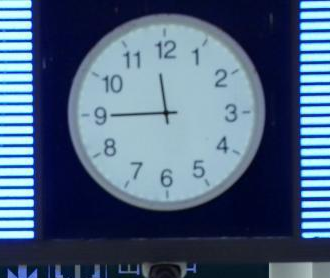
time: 11:44
